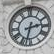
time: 2:32
